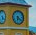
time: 6:21
